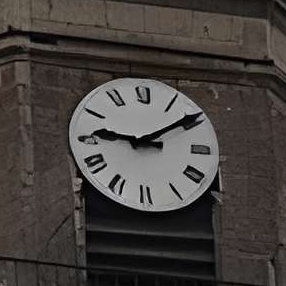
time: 9:09
